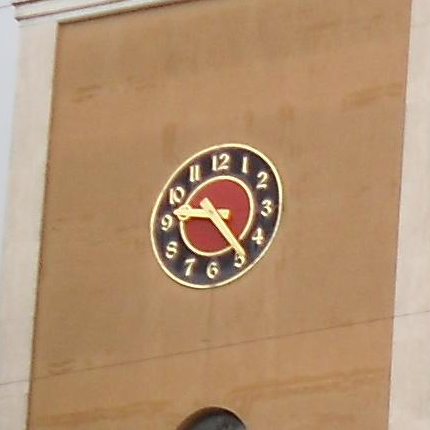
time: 9:23
